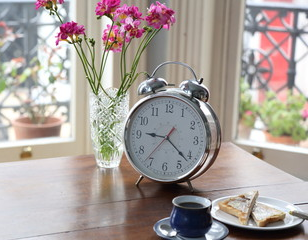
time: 9:21
